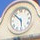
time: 5:52
